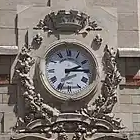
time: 2:14
